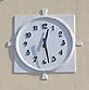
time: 12:27
